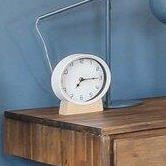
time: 7:15
